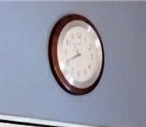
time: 10:41
